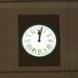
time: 12:02
